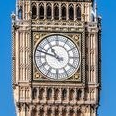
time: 10:47
